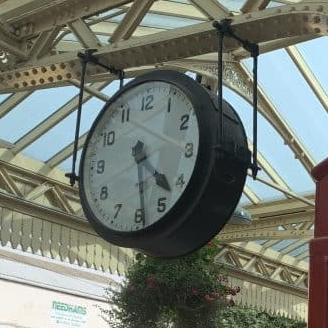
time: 4:28
